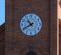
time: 10:40
